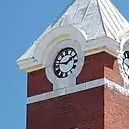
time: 1:46
